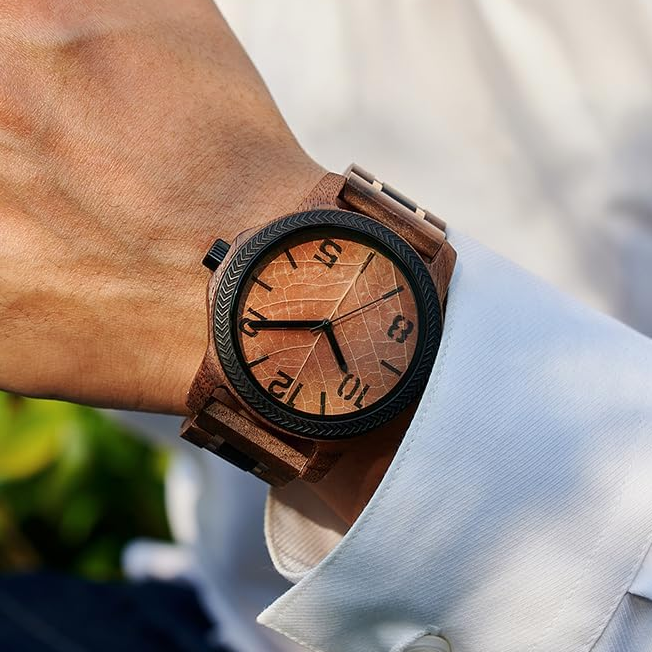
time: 4:44
